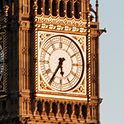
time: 5:35
